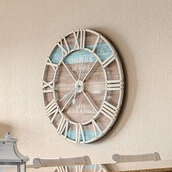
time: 1:37
